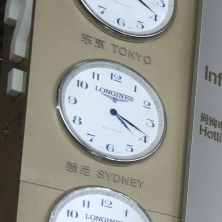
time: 4:18
